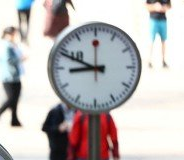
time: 8:48
